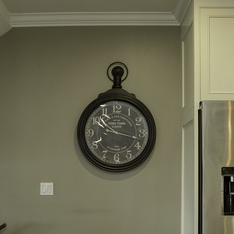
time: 10:17
